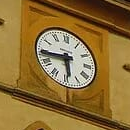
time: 5:44
